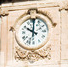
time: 10:00
